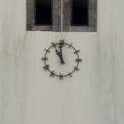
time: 10:58
